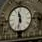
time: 11:32
